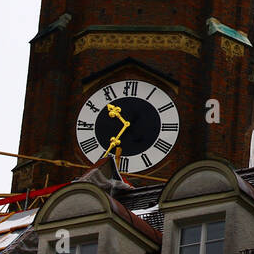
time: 10:34
